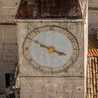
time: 3:50
